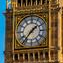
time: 1:36
